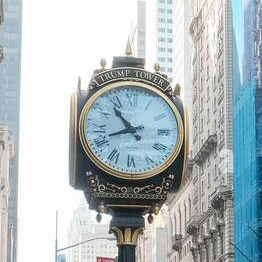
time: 10:41
